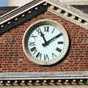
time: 11:09
